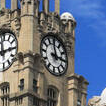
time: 2:58
